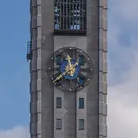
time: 11:38
